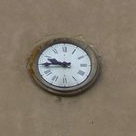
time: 9:44
